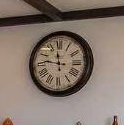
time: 11:46
